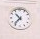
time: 10:37
